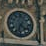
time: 4:33
